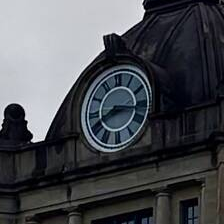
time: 8:16
